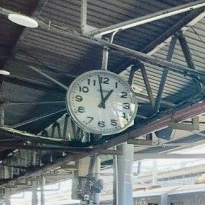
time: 12:58
